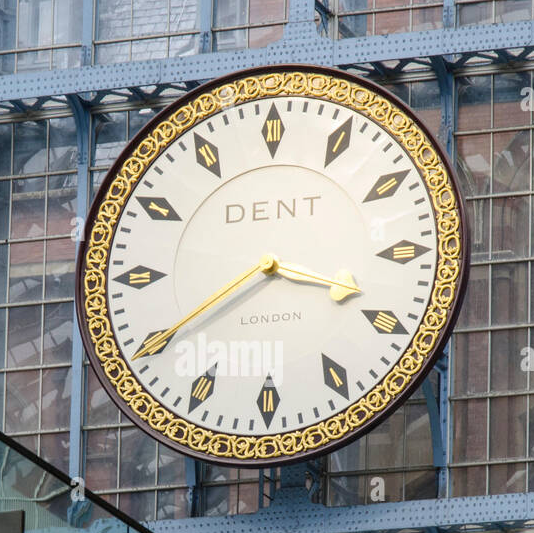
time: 3:40
